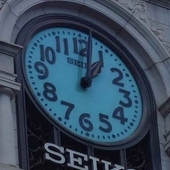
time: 1:02
